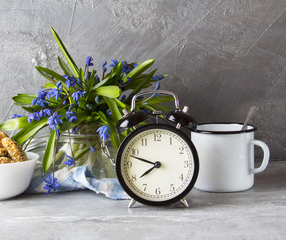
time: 7:48
